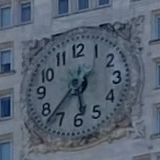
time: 5:36
